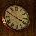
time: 3:50
